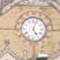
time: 5:03
